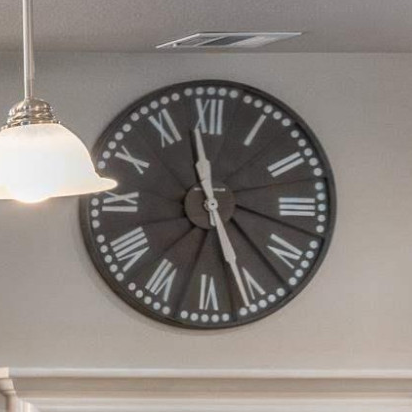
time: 11:26
